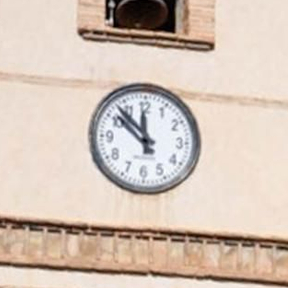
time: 11:52
